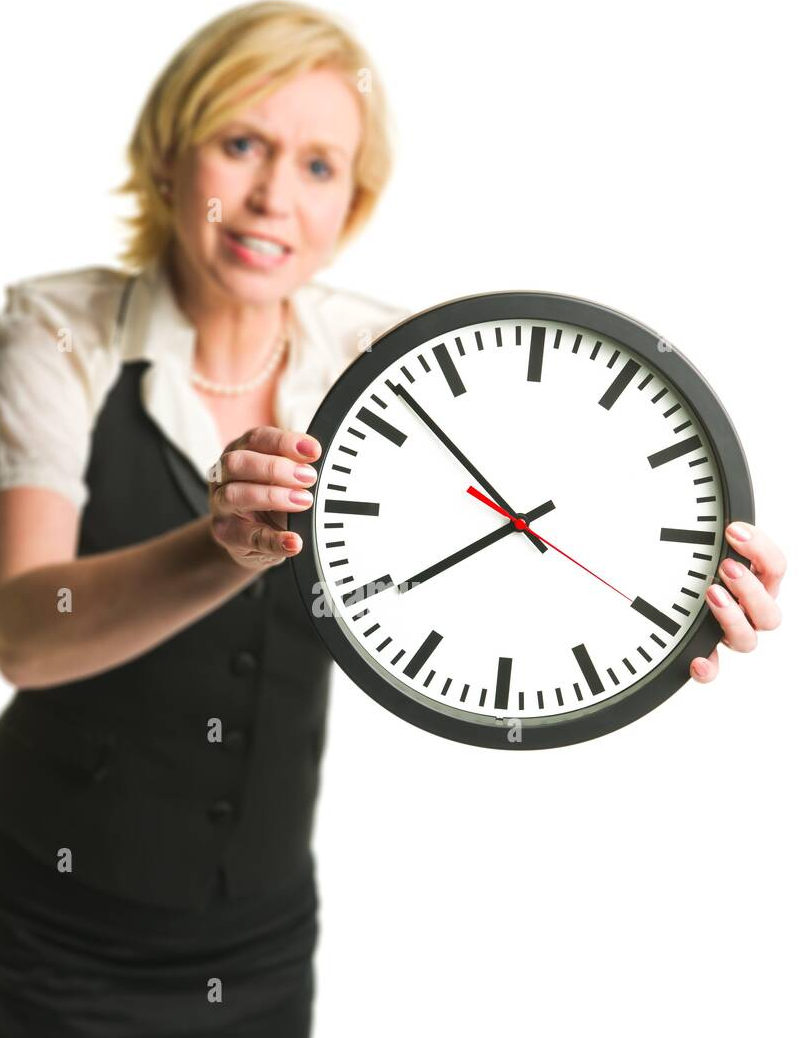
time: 7:52
